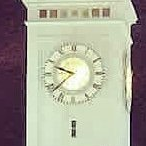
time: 9:38
